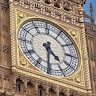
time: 4:30
